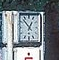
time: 12:52
